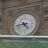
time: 4:42
